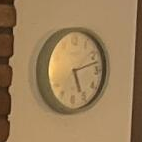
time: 5:12
